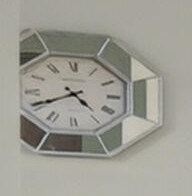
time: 4:40
